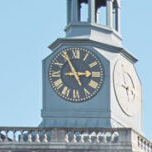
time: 2:55
